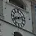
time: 8:12
